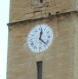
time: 12:22
